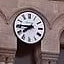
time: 7:45
